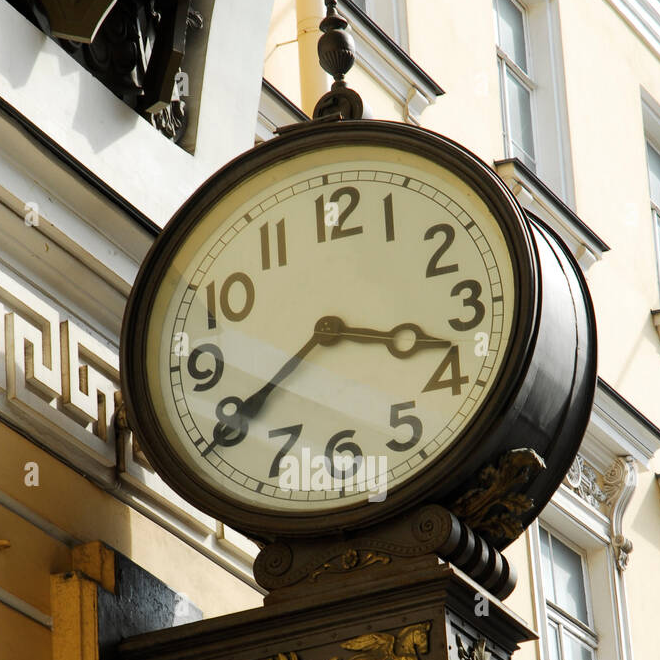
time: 3:39
